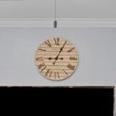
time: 9:04
